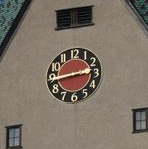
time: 2:44
